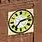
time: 2:36
